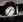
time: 1:36
